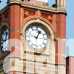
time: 12:47
